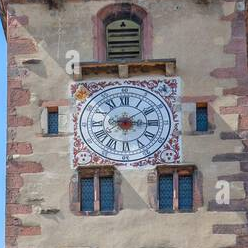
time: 3:09
